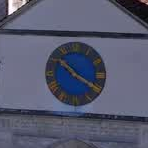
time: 10:20
